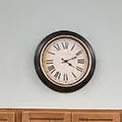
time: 4:11
